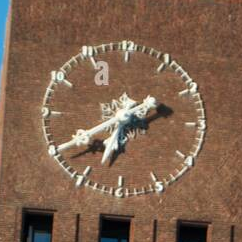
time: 2:39
